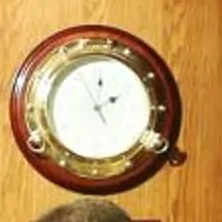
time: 2:01
